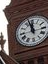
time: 11:57
